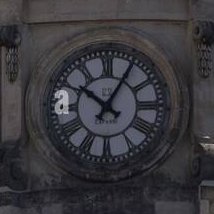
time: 10:05
